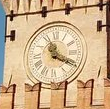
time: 11:19
